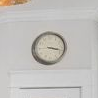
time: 3:17
